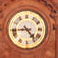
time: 4:43
